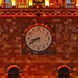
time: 8:40
